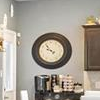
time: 9:53
